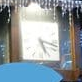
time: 5:17
